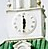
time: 5:59
